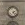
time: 2:23
